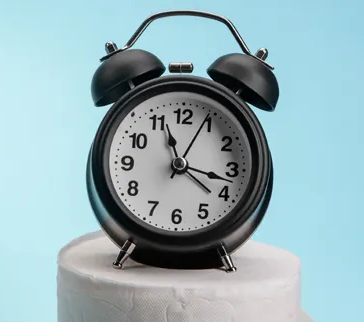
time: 11:17
